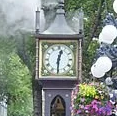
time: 12:30
